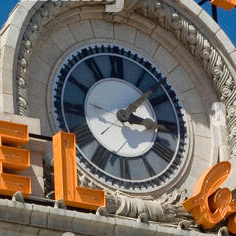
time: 3:08
